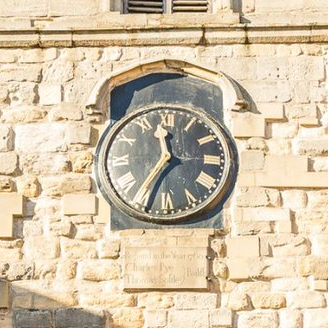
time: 11:35
